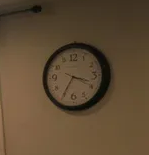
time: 3:35
